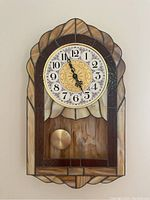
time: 4:56
